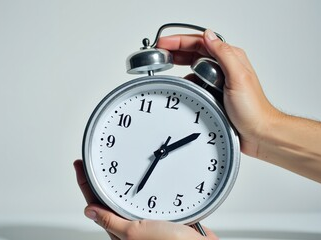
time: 1:33
